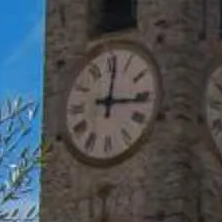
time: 12:16
